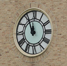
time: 11:55
